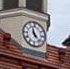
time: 11:22
